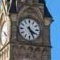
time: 4:26
